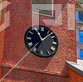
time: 11:07
